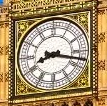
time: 8:17
